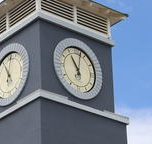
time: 11:02
